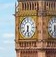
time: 6:28
